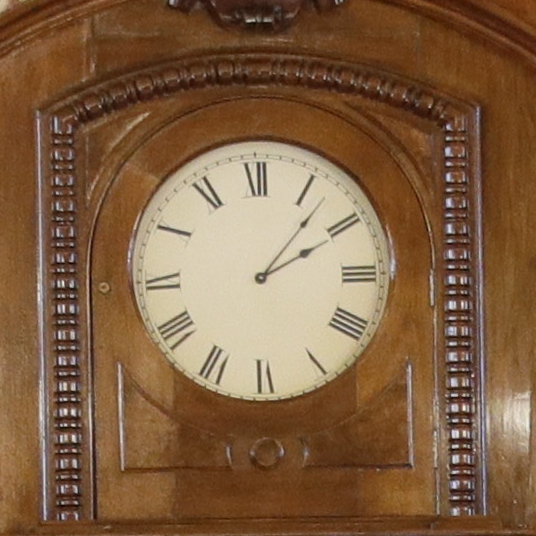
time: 2:07
